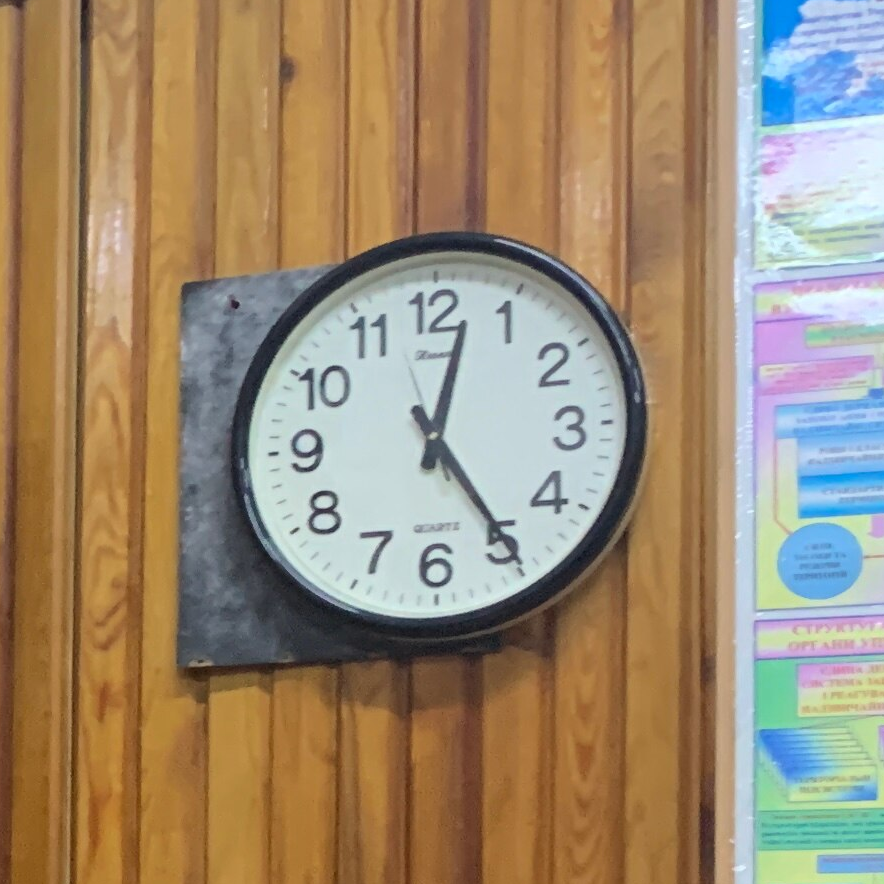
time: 12:24
